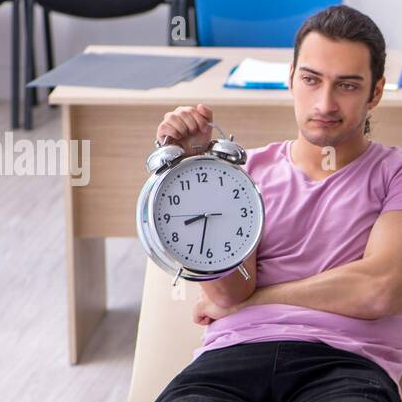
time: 8:32
